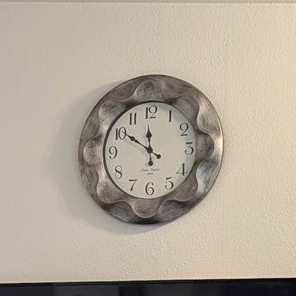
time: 11:50
